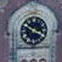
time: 3:48
